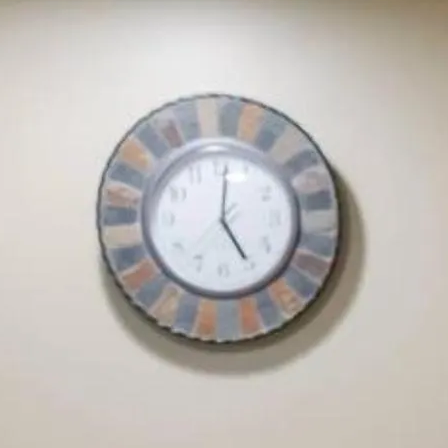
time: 5:01
